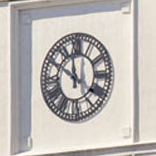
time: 11:50
